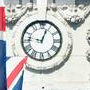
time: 12:47
